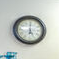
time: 5:00
